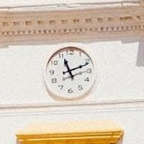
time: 11:11
